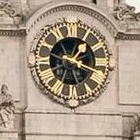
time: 1:18
